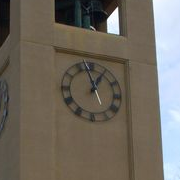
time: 12:57
